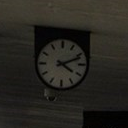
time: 4:11
